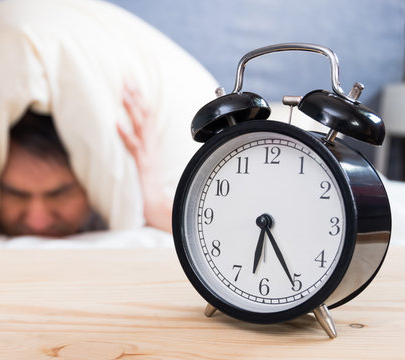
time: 6:25
